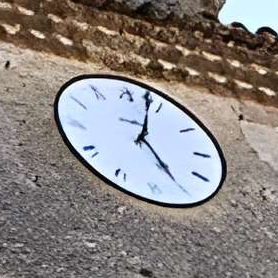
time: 5:03
